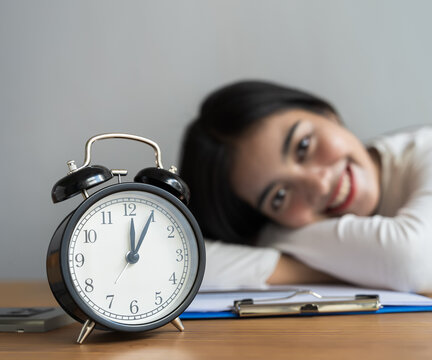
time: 12:04
